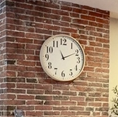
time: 11:10
